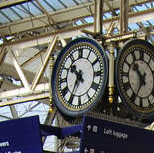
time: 10:34
